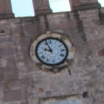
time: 9:56
